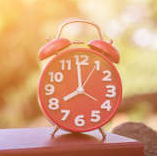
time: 7:59
